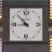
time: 8:53
